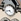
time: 4:42
